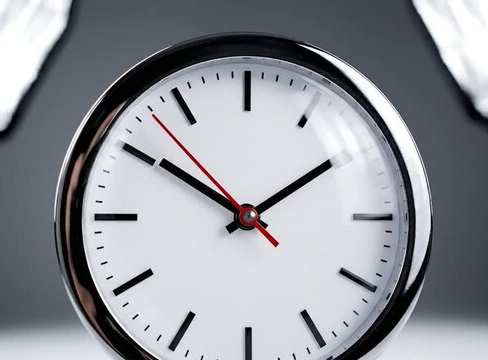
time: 1:50
